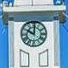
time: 10:00
